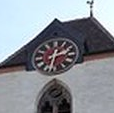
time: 2:32
